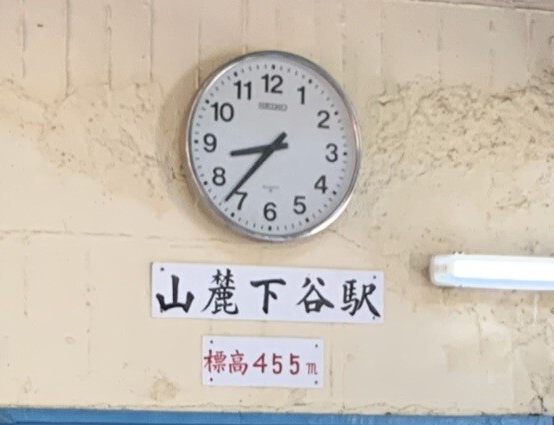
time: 8:36
